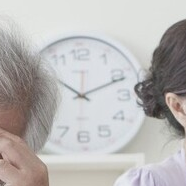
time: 10:11
